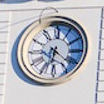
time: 6:21
